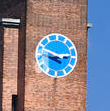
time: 2:48
